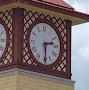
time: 2:29
